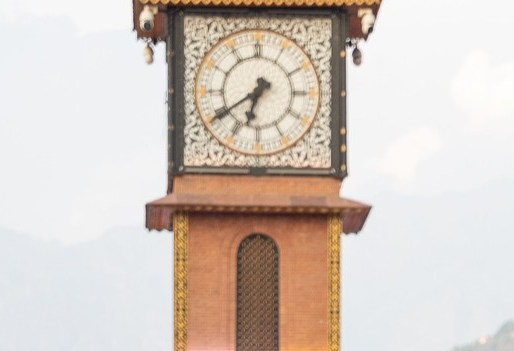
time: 6:39
